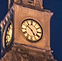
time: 4:51
